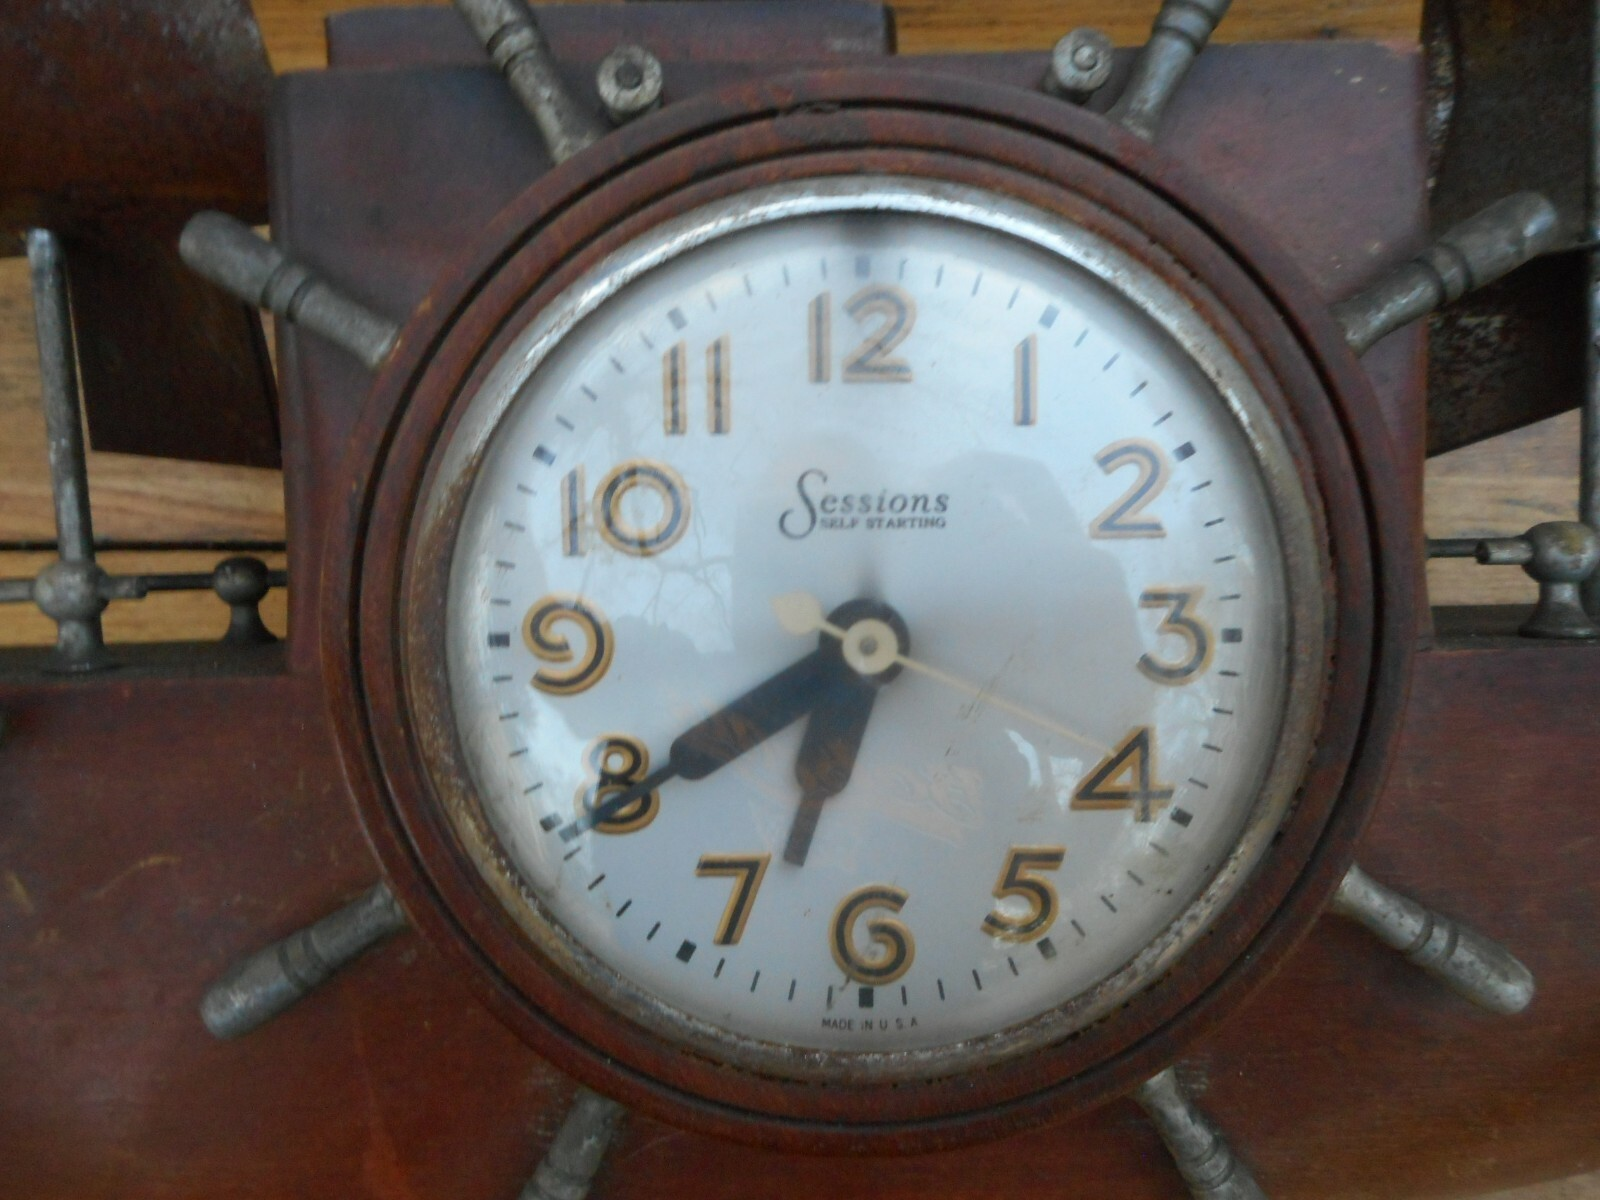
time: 6:39
